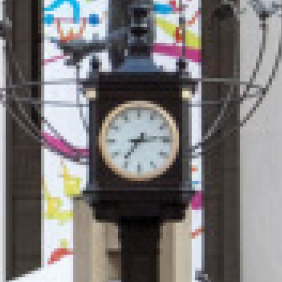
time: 7:13
